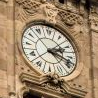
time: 2:18
